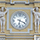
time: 6:18
